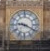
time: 9:19
